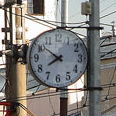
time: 7:51
